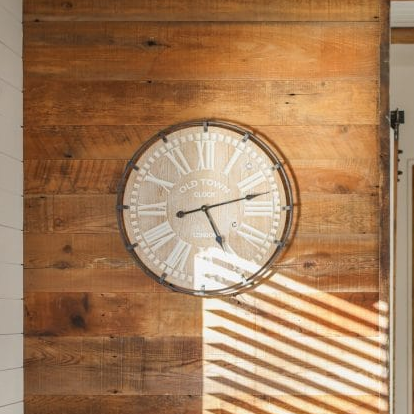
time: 5:12
